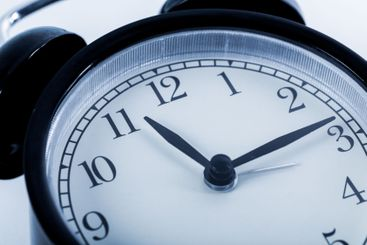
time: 11:13
